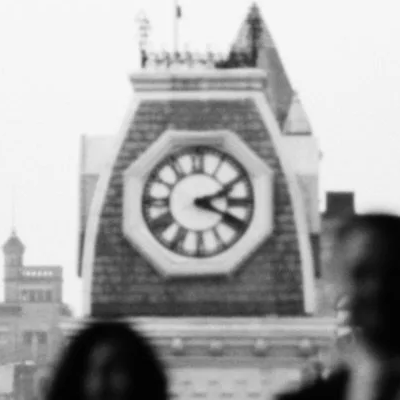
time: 2:18
